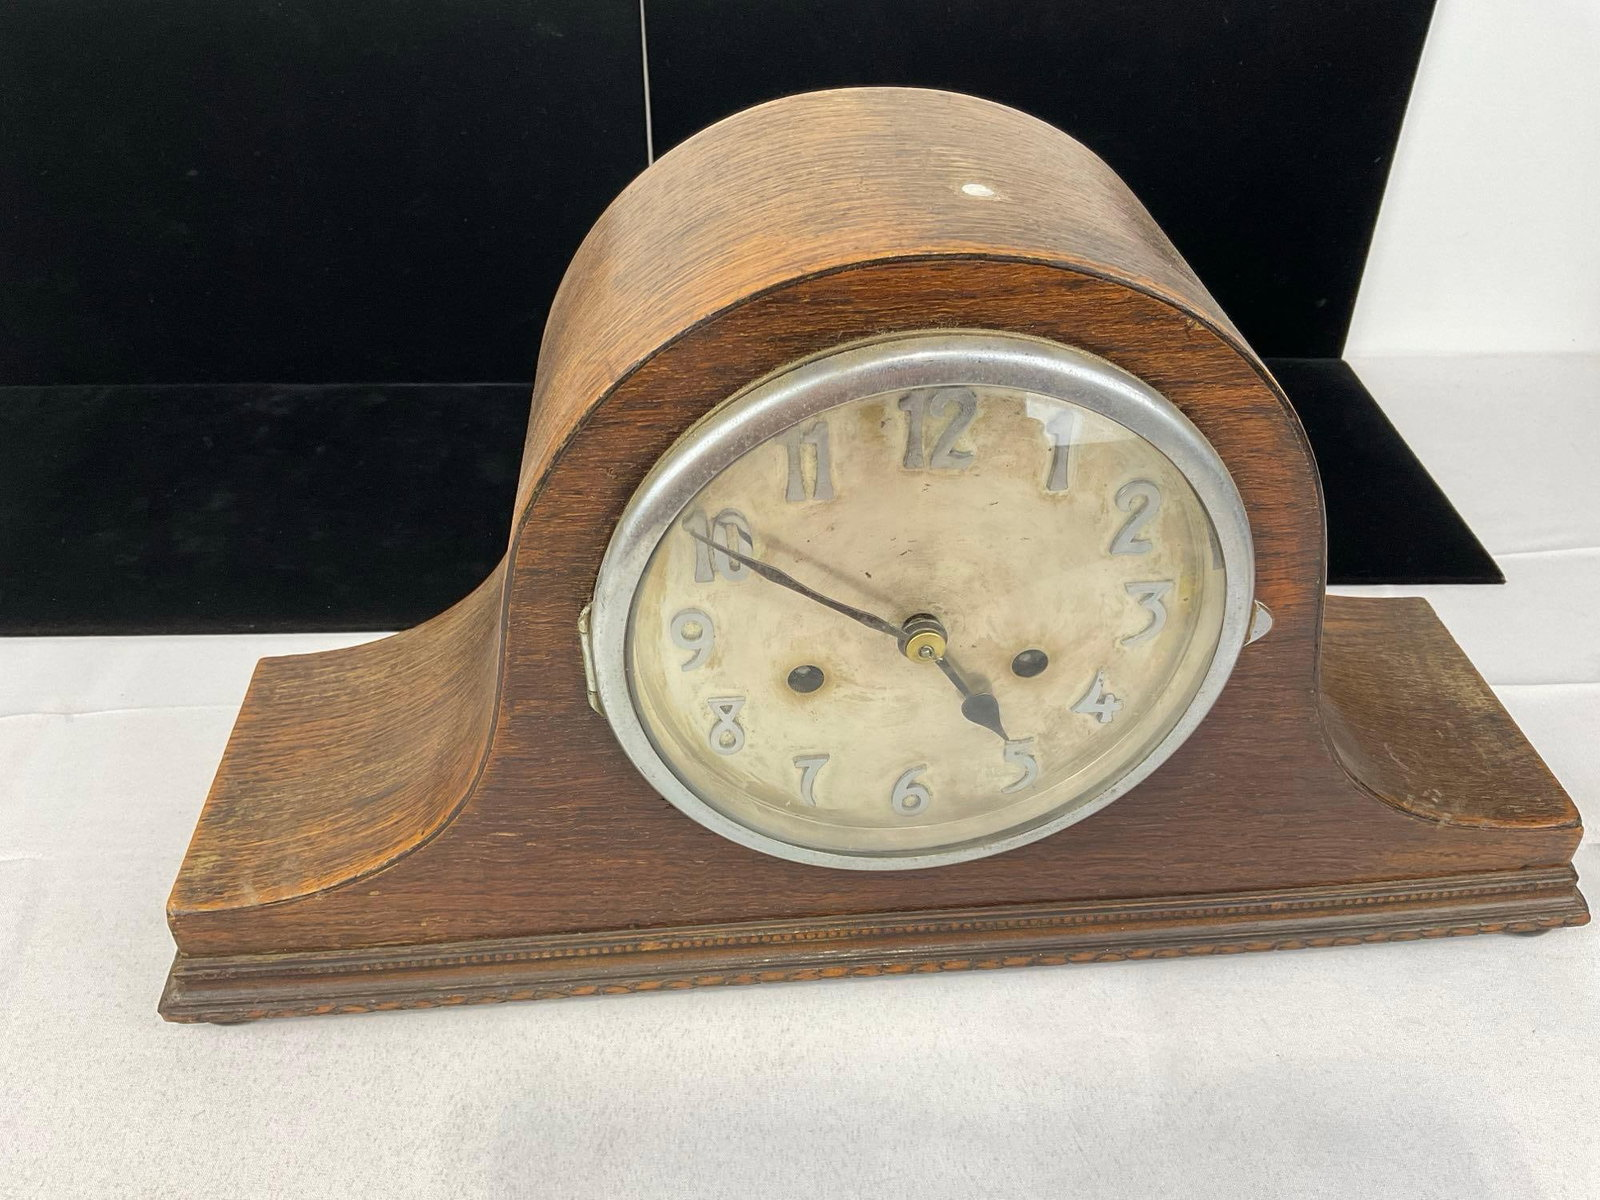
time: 4:49
